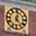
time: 12:23
